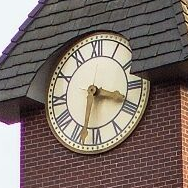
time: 3:32
